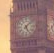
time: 5:07
